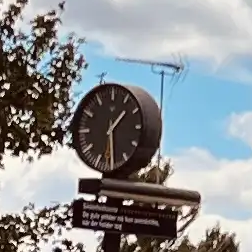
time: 1:29
